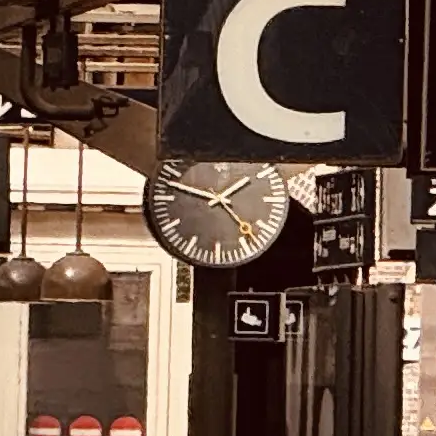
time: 1:47
